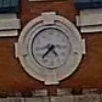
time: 4:37
